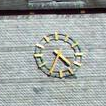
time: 4:34
